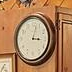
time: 3:02
